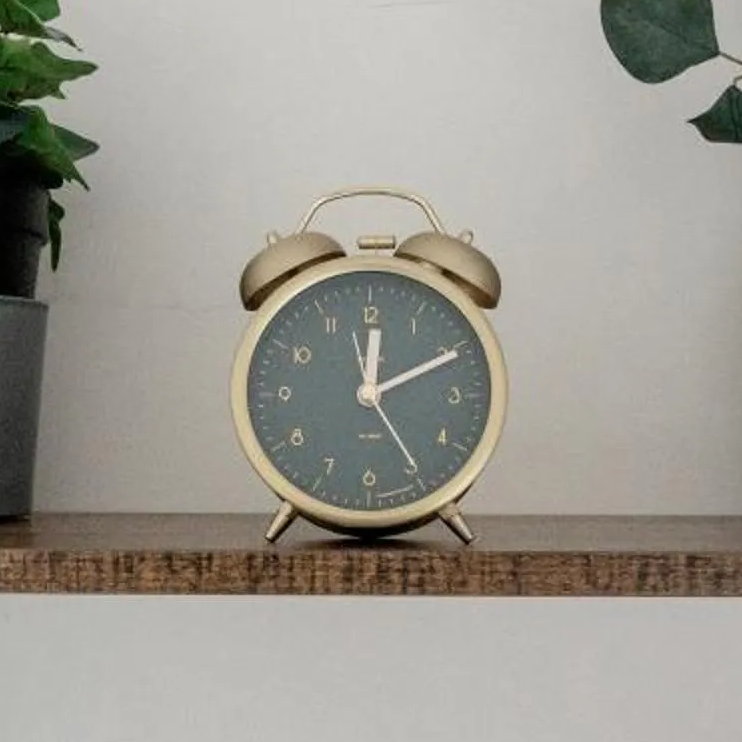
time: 12:10
